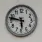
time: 5:47
